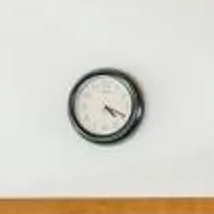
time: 4:18
